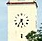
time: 5:35
